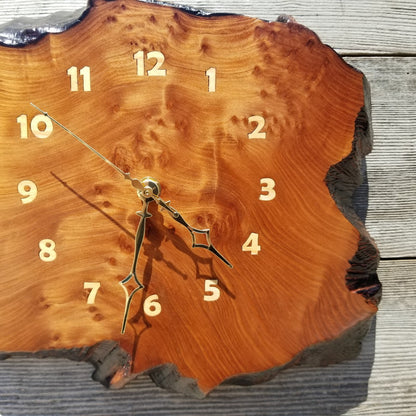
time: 4:32
